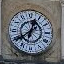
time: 12:39
